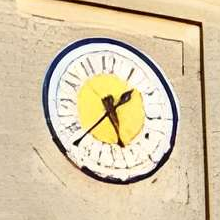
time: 1:37
